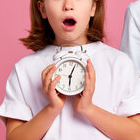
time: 6:03
